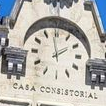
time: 1:58
